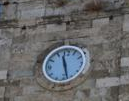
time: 11:27
